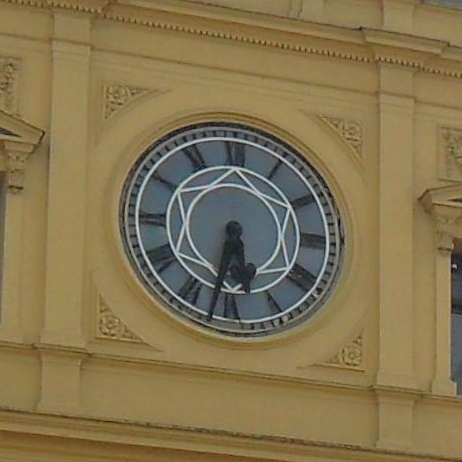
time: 5:32
